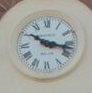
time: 10:16
